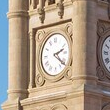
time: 2:21
